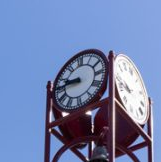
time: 9:45
